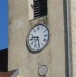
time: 9:28
